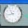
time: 10:42
